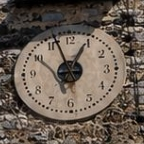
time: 12:56
